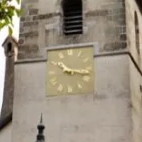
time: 10:17
